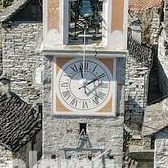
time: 1:57
